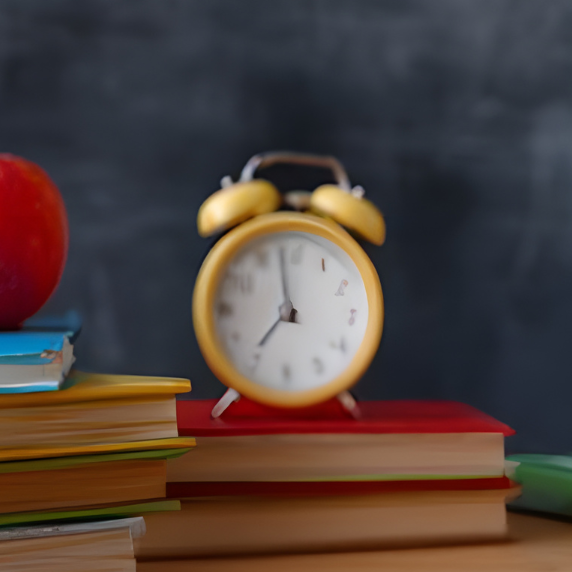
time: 6:58
